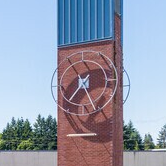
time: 7:25
